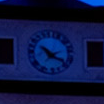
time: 10:18
